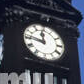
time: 11:46
